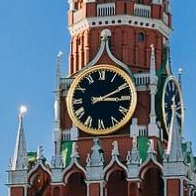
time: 3:10
